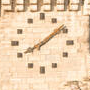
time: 8:09
